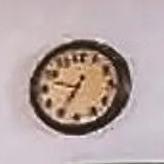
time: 6:47
